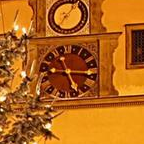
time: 5:15
